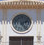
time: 2:23
